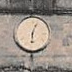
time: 6:03
